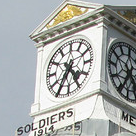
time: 4:35
